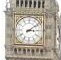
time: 3:09
